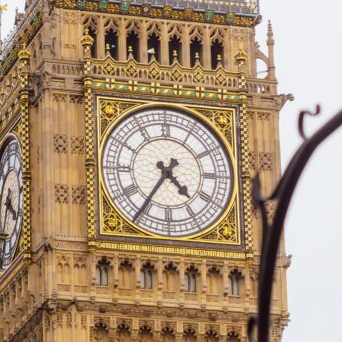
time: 4:35
